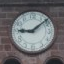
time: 9:08
